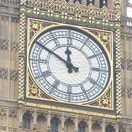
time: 11:50
